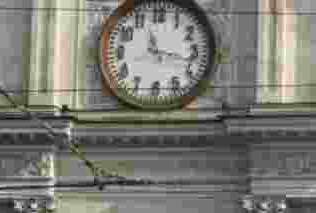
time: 11:17
